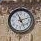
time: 11:12
